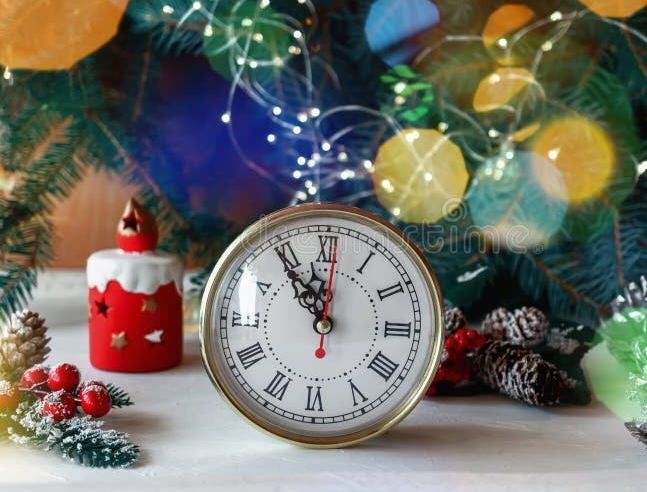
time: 11:54
